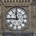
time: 11:45
